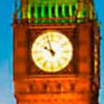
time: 9:57
